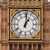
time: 1:01
